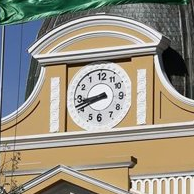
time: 8:41
